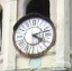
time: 4:12
